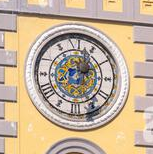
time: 12:24
